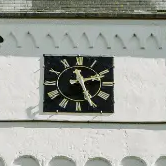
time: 2:26
